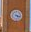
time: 4:17
